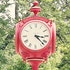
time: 3:22
